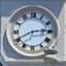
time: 2:40
